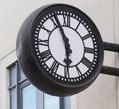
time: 5:55
